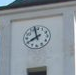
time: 7:57
